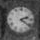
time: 2:21
